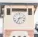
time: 7:12
